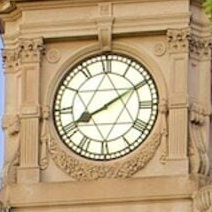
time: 8:09
